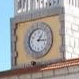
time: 1:16
